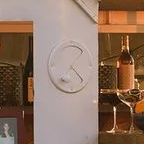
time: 4:07
